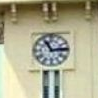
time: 11:13
